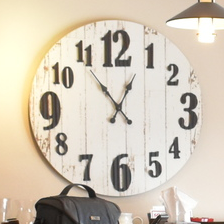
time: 12:53
